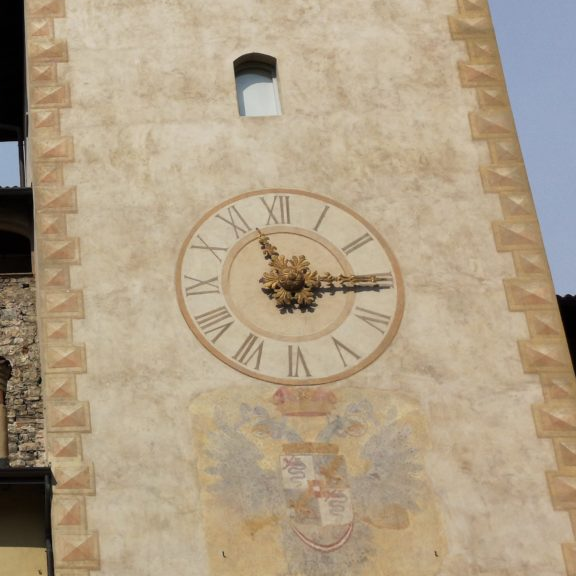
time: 11:15
